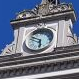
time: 5:49
